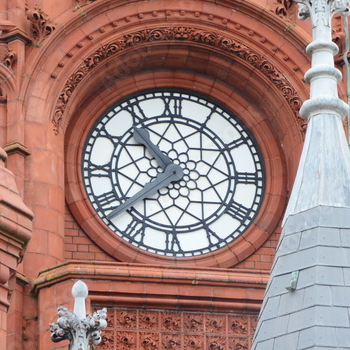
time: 10:38
